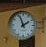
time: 1:56
